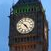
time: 4:52
